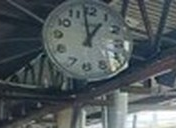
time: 12:58
